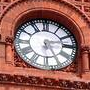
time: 2:25
